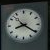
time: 8:20
